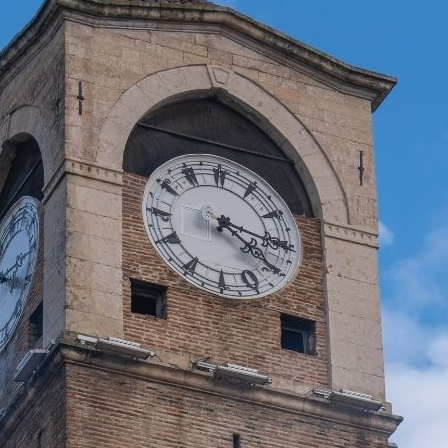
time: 4:16
